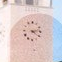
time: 4:12
